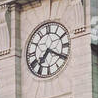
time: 7:20
